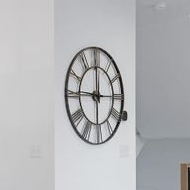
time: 5:59
